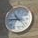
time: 10:45
